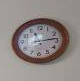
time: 11:13
